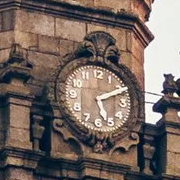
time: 5:10
